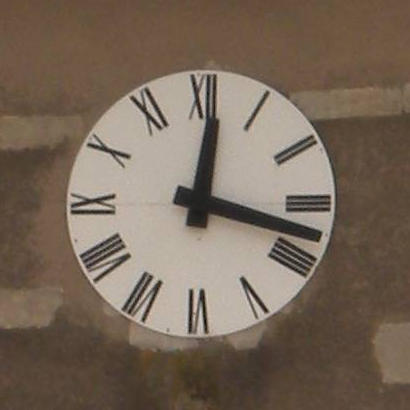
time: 12:17
